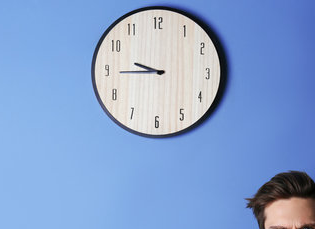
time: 9:44
